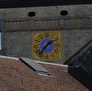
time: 1:36
